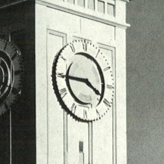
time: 3:44
